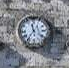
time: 11:36
